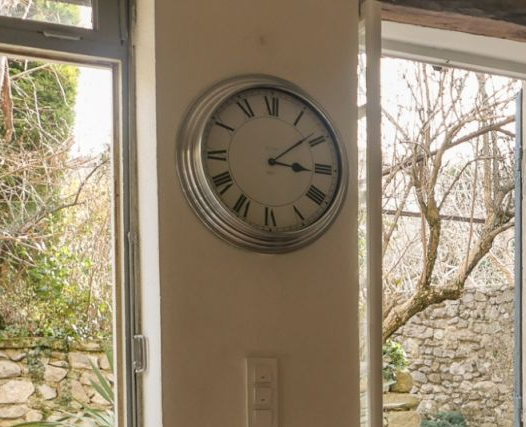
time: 3:08
